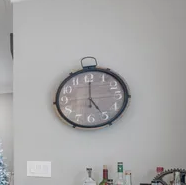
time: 5:00
